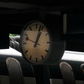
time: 1:03
